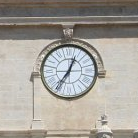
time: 12:36
